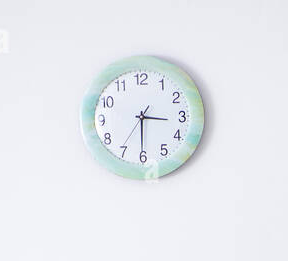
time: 3:30
